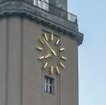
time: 7:52
